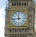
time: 11:43
